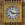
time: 10:15
